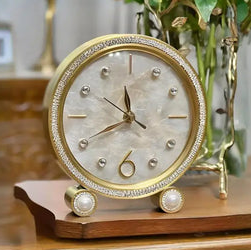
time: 11:40
